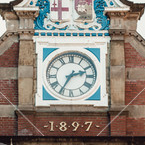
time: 2:35
